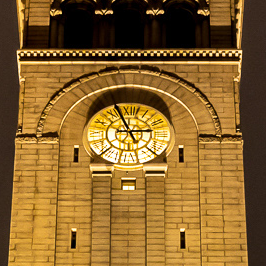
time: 2:56
